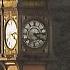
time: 4:13
